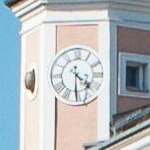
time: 4:29
